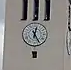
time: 12:25
